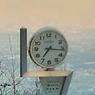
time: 7:16
